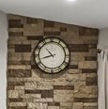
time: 10:42
